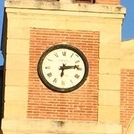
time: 6:13
